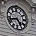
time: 4:42
